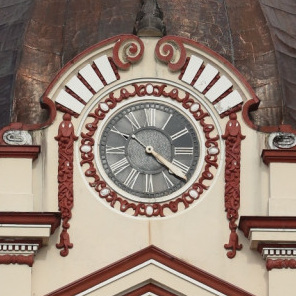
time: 4:21
